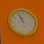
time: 10:56
